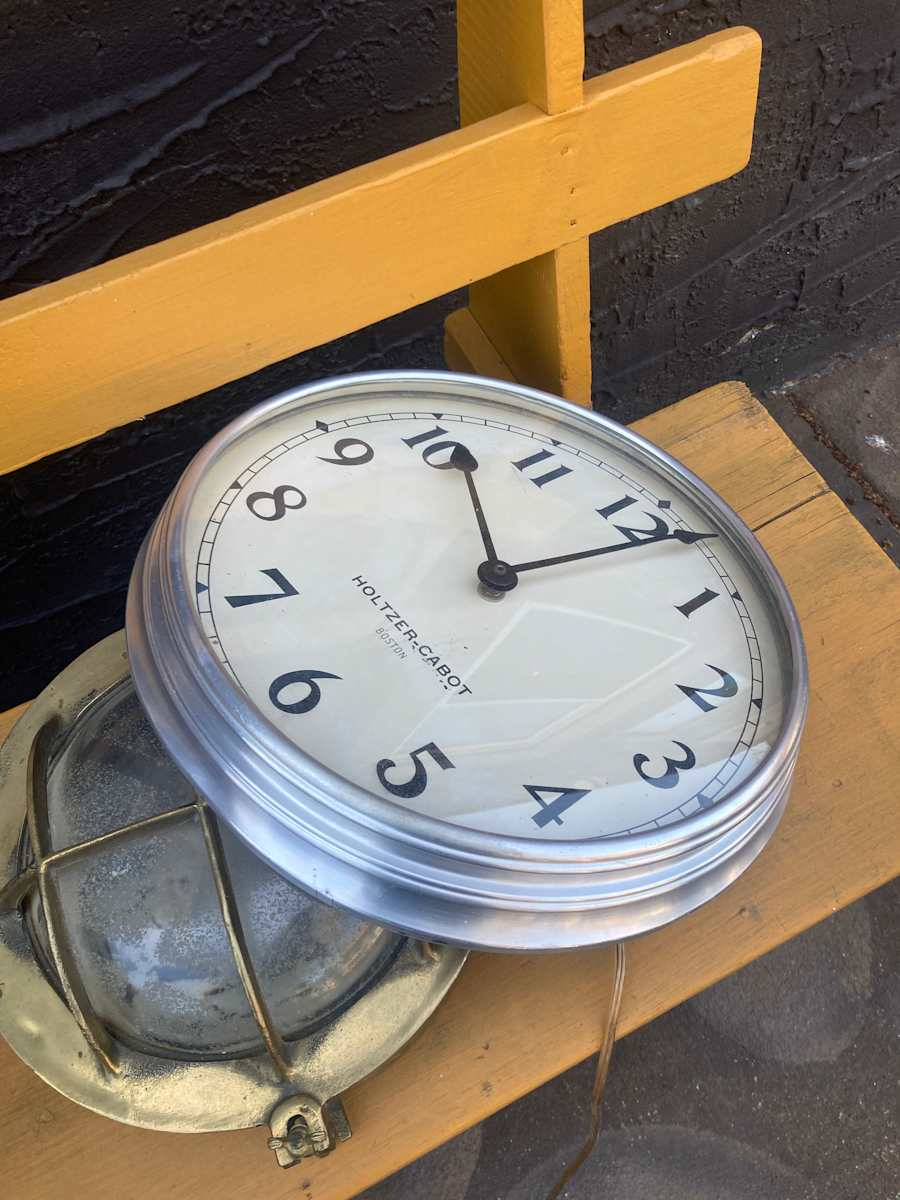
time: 12:11
